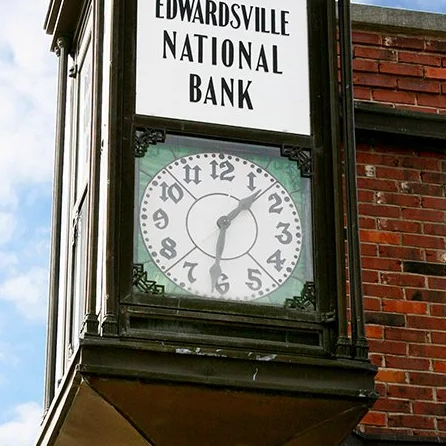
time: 1:31
